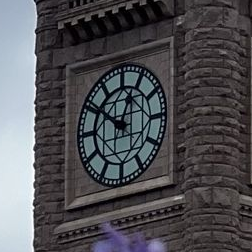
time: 12:51
